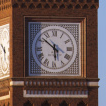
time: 5:51
